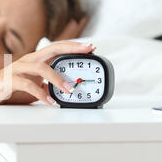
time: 7:14
